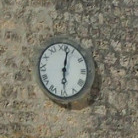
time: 6:01
